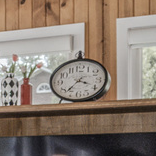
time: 3:37
